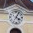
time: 4:04
